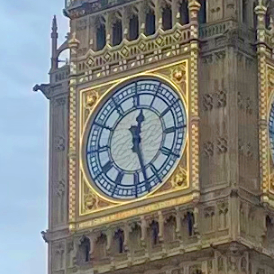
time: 12:27
